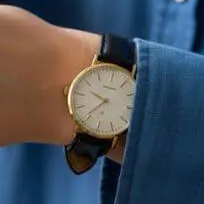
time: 9:36
